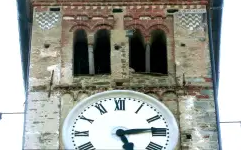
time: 5:13
